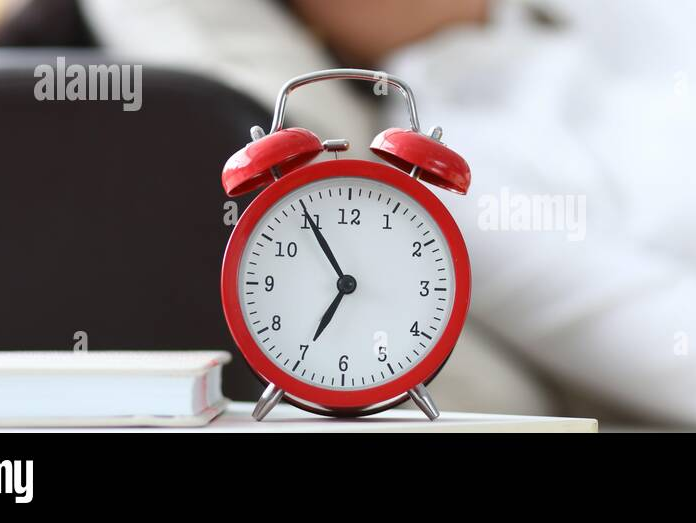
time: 6:54
